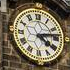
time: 4:13
